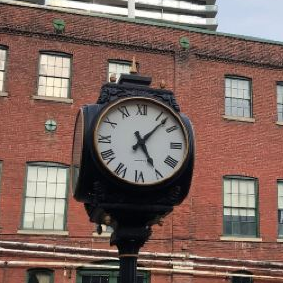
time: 5:06
